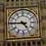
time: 4:45
